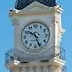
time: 10:26
